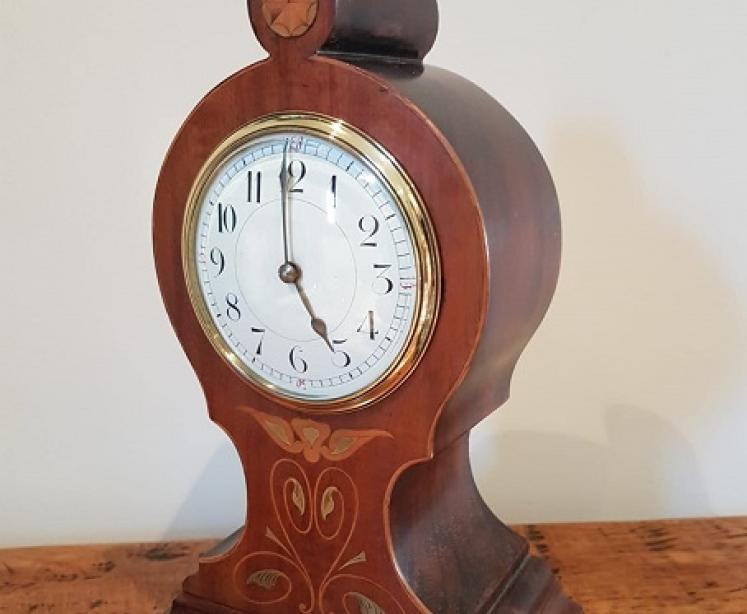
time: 4:59
